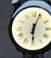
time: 6:03
